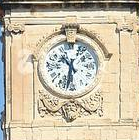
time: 10:32
